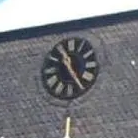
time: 11:24
